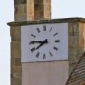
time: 7:45
